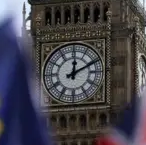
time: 12:10
